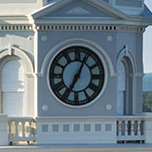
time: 7:04
